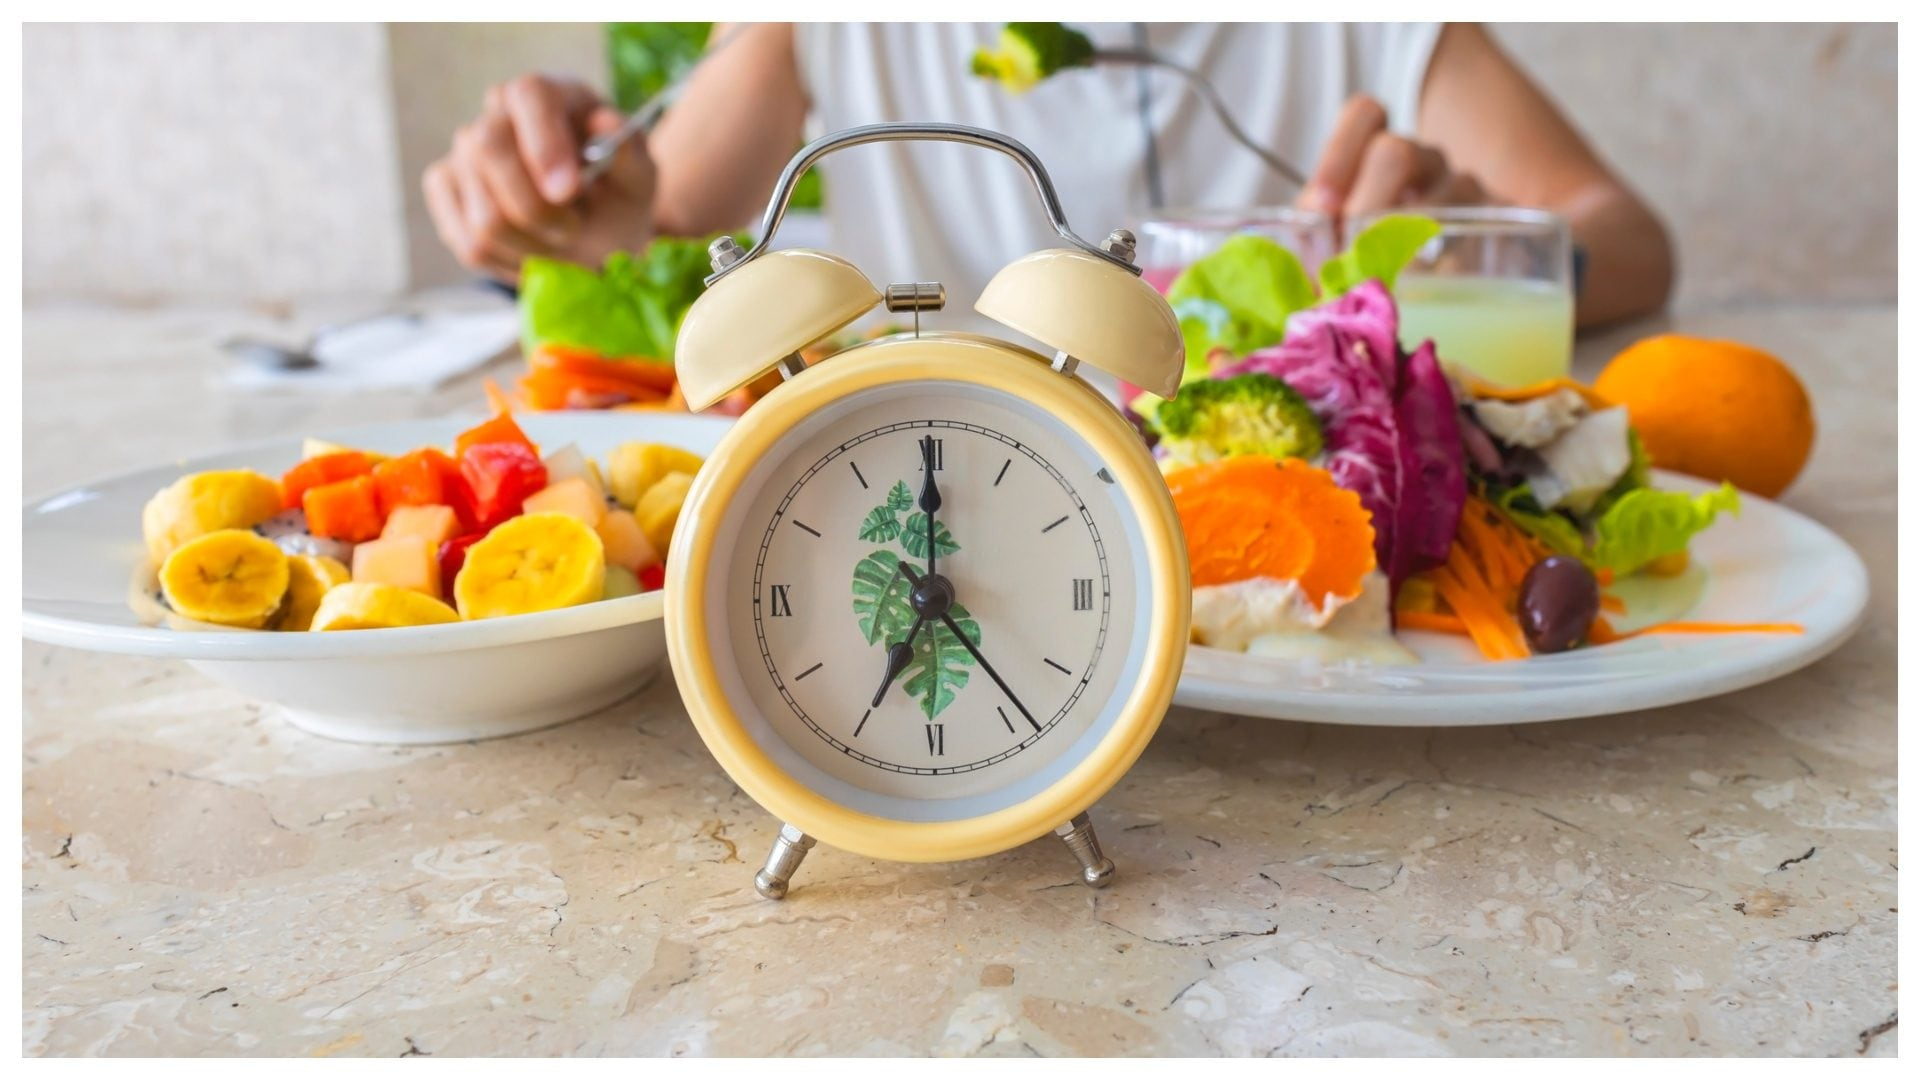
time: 7:00
